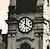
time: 4:01
